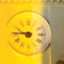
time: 9:45
